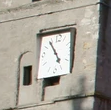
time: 4:53
